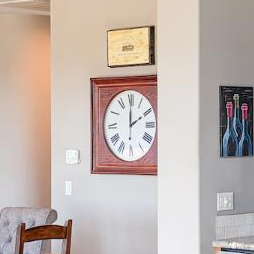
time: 2:00
